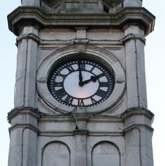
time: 1:59
